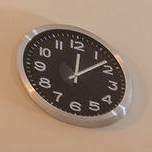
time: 12:07
